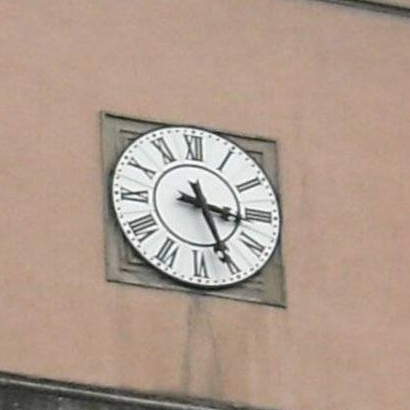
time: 3:25
